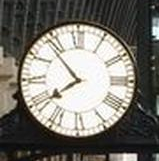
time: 7:53
